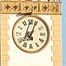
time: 7:03
